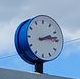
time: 2:13
